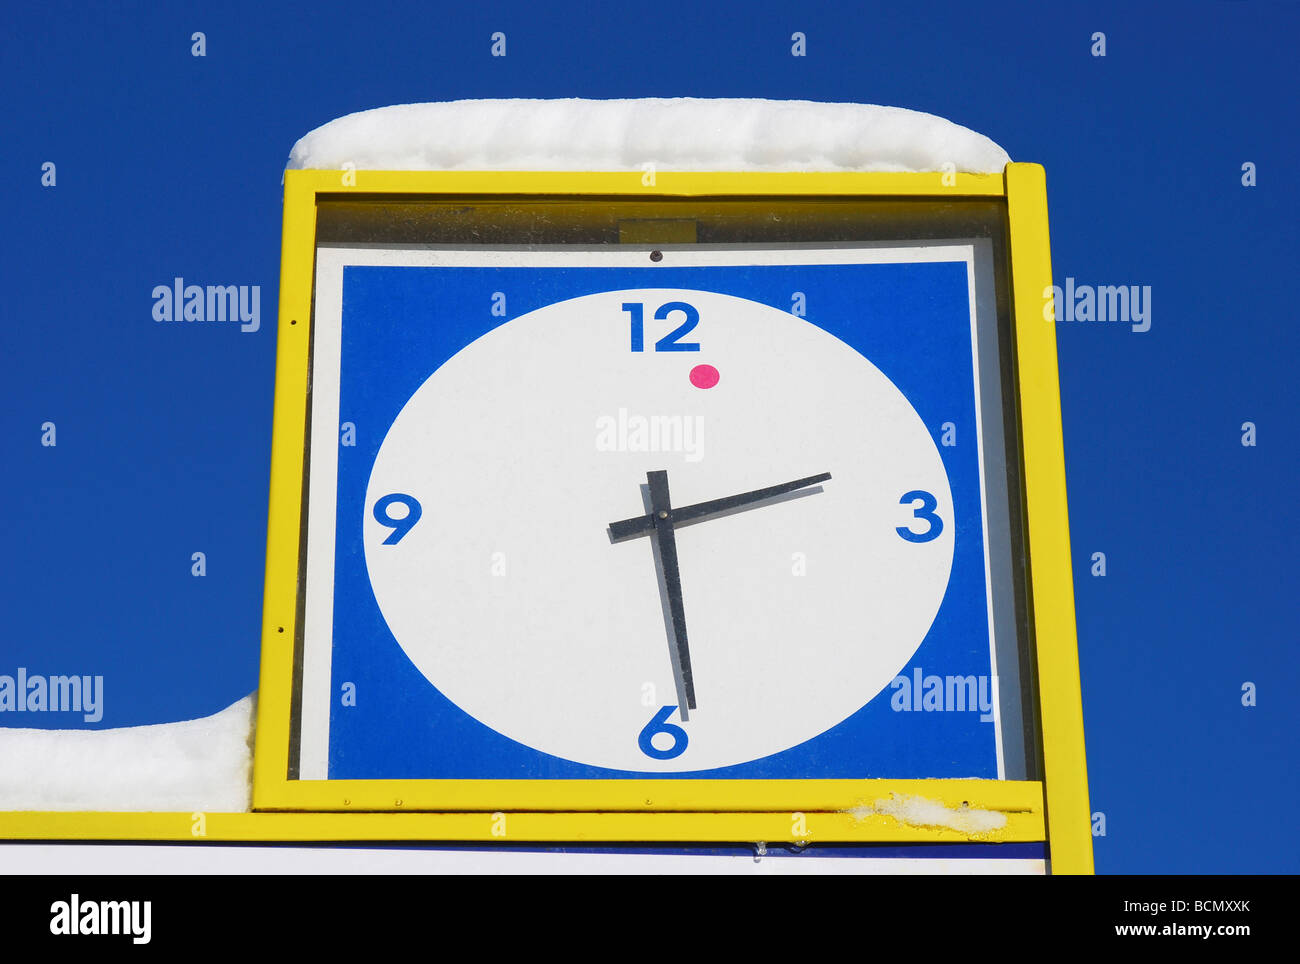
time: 2:28
